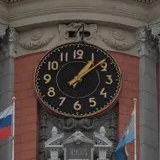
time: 1:08
